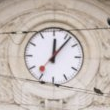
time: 12:06
